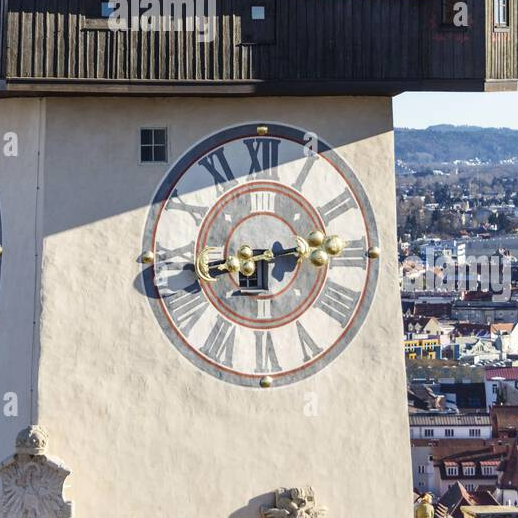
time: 2:42
